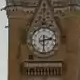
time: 2:29
